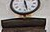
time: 11:27
